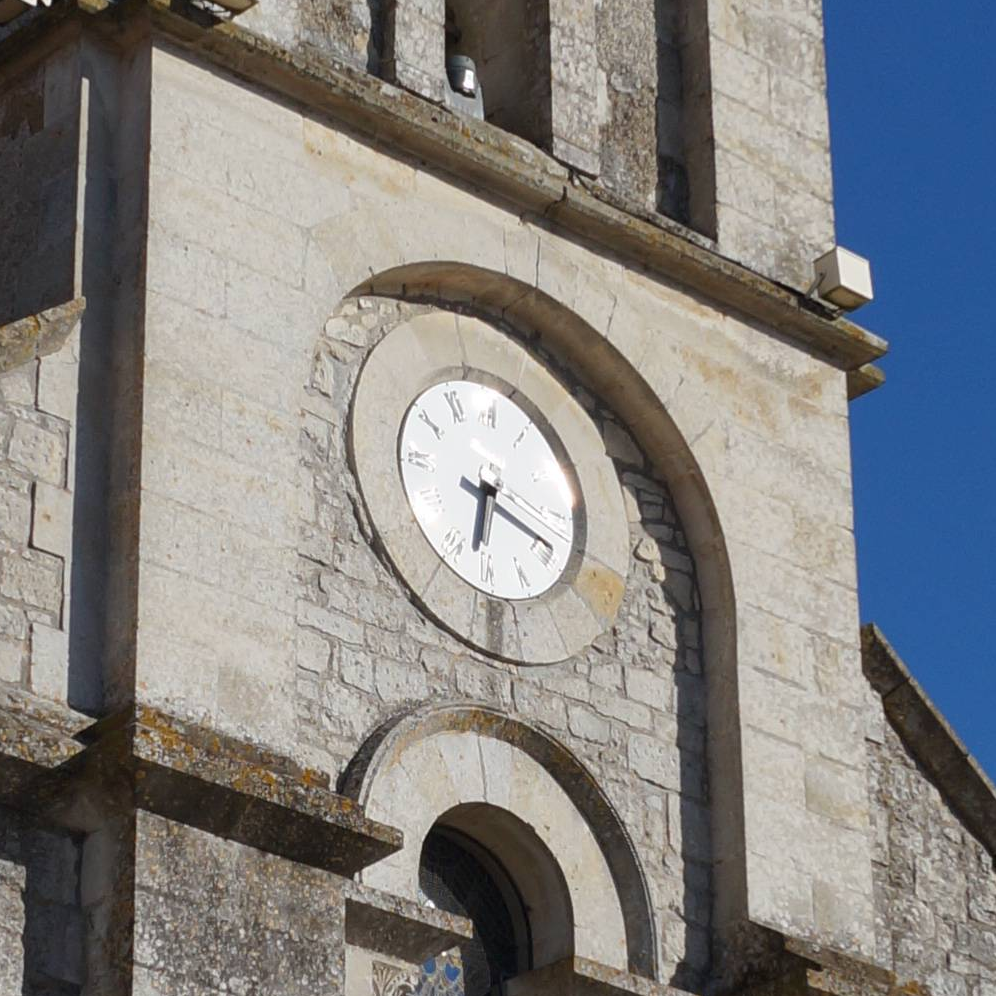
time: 6:18
